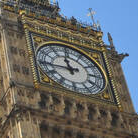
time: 11:44
